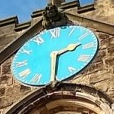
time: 2:29
